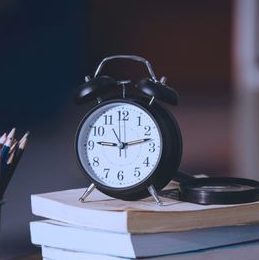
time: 9:12
